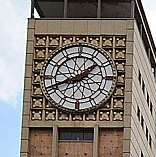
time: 1:41
